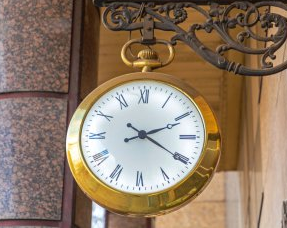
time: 2:20
